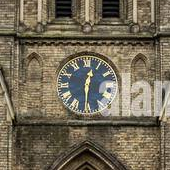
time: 12:30
